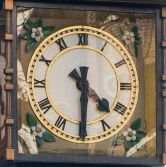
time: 4:30
